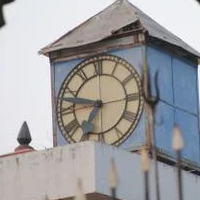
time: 6:47
